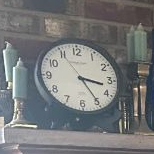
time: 3:24
